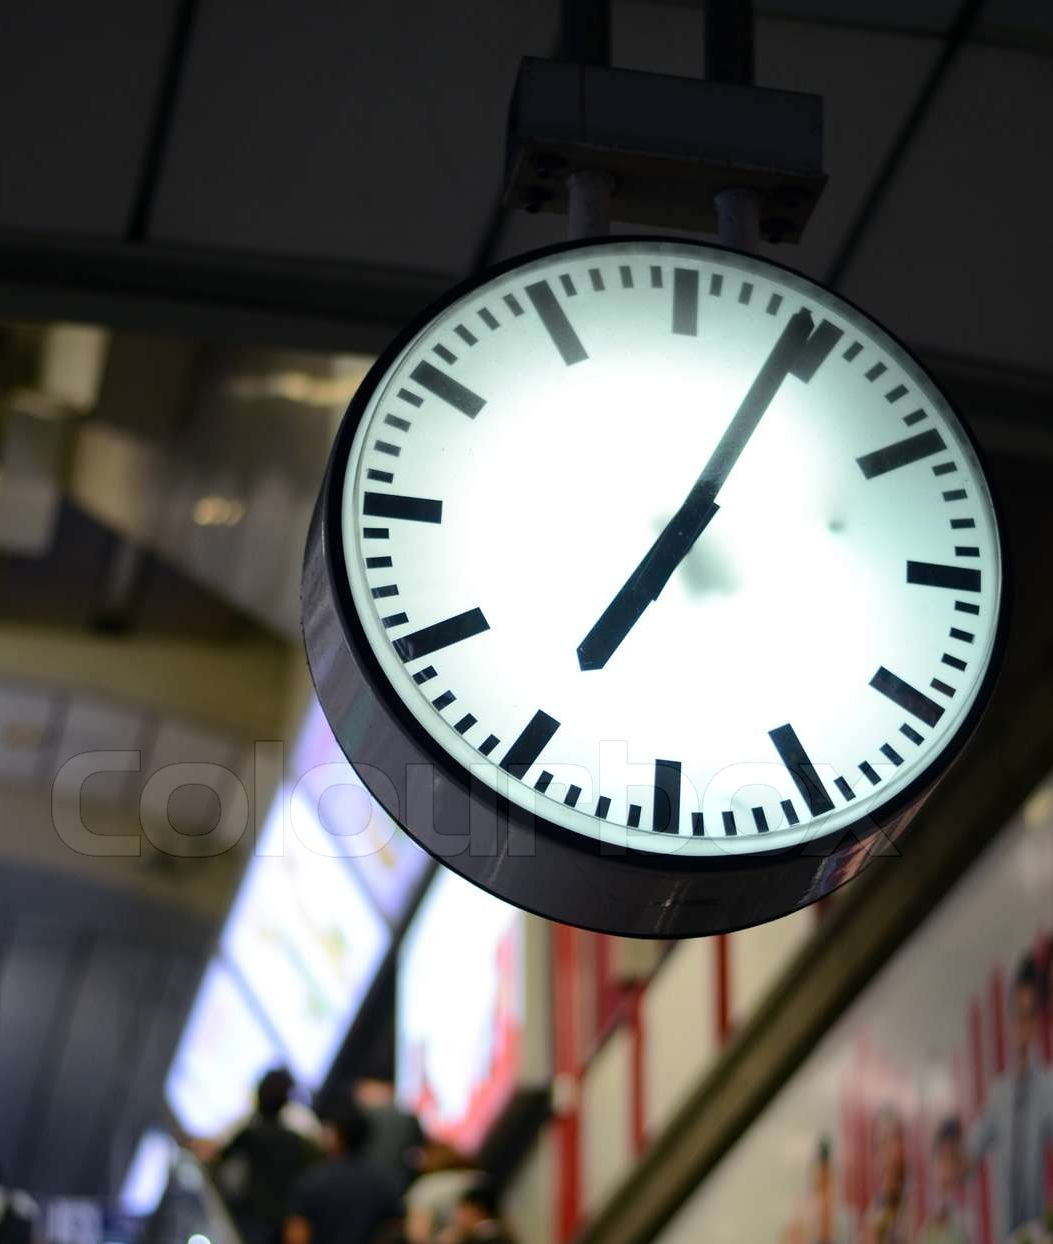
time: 7:04
